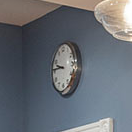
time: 9:45
